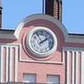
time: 1:54
